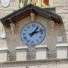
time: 1:12
